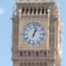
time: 1:02
